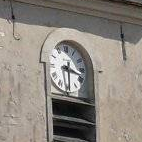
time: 3:29
